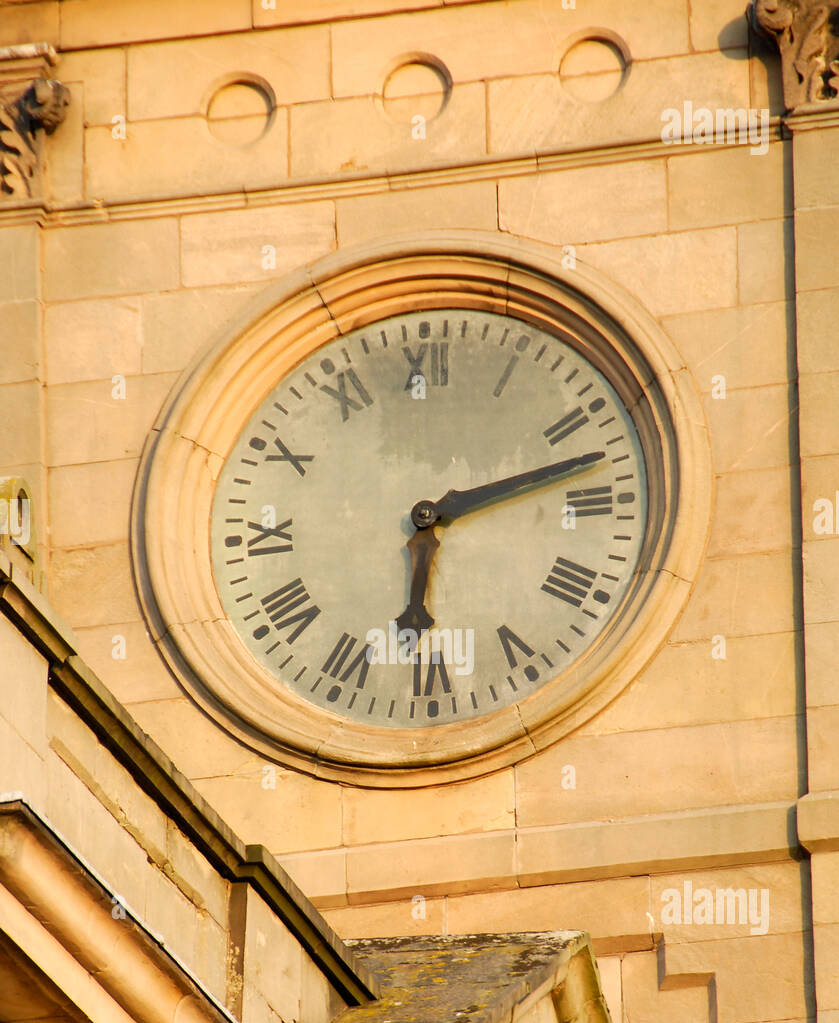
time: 6:12
